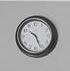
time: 10:26
